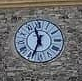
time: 11:33
